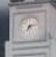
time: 7:12
